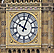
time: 10:03
